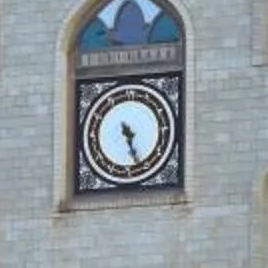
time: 10:26
